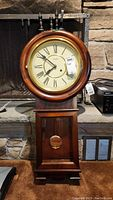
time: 7:51
